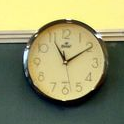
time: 11:09
